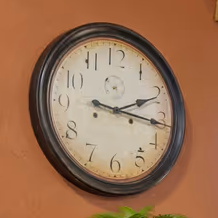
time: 2:16
